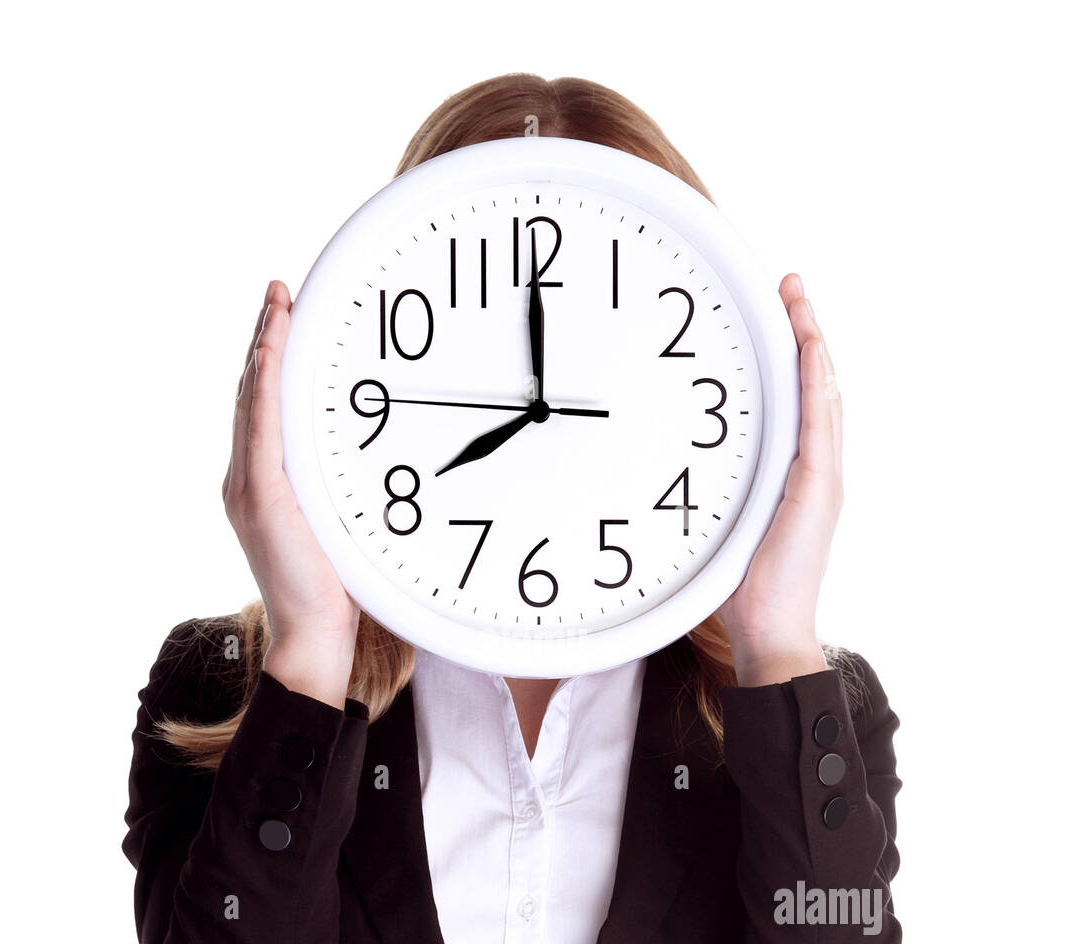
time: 7:59
